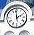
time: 1:59
